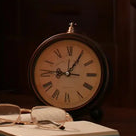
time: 9:05
